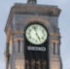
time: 4:57
